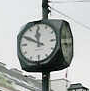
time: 11:49
